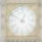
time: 12:49
